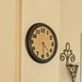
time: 4:29
